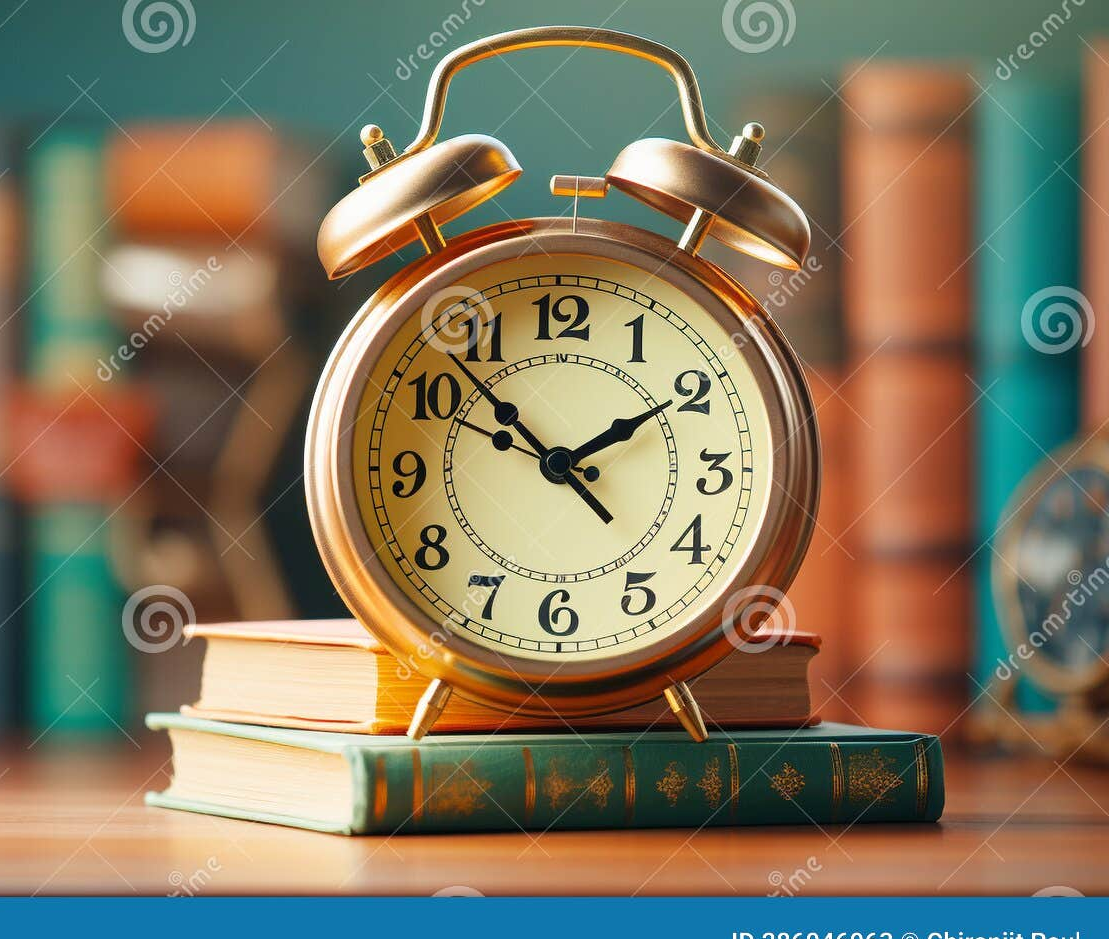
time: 1:52
